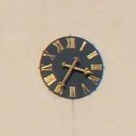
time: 3:35
